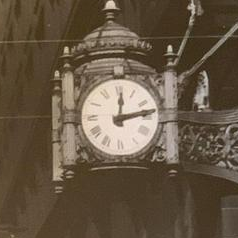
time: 12:12
